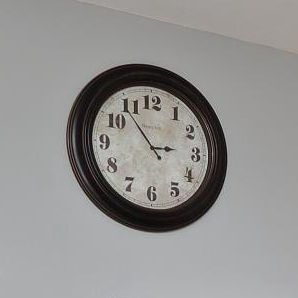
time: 2:53
